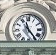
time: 11:24
